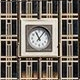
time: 11:06
